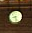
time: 8:27
